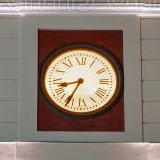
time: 8:35
